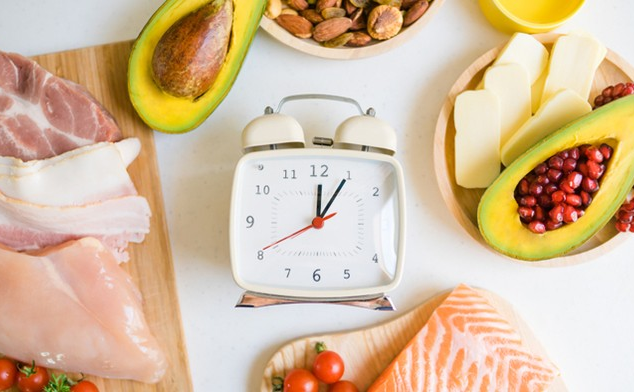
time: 12:05
